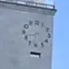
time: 8:32
